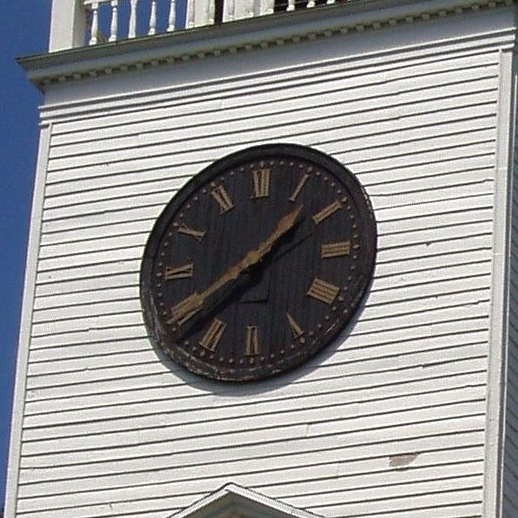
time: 1:39
